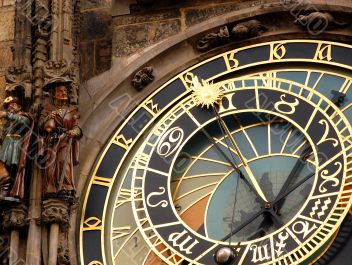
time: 12:52
